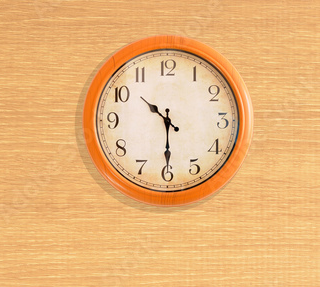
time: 10:30
